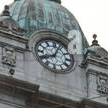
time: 8:04
